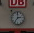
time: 2:36
